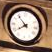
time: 7:53
